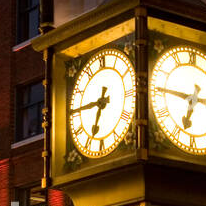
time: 6:45
